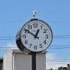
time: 12:50
